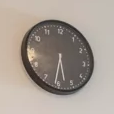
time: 5:31
